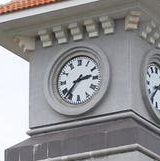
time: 2:36
